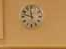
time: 11:47
